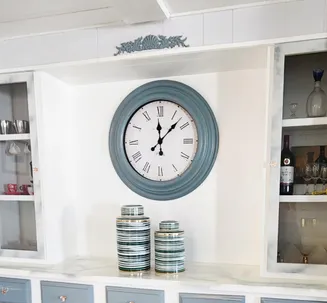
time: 12:07
